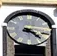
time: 4:16
